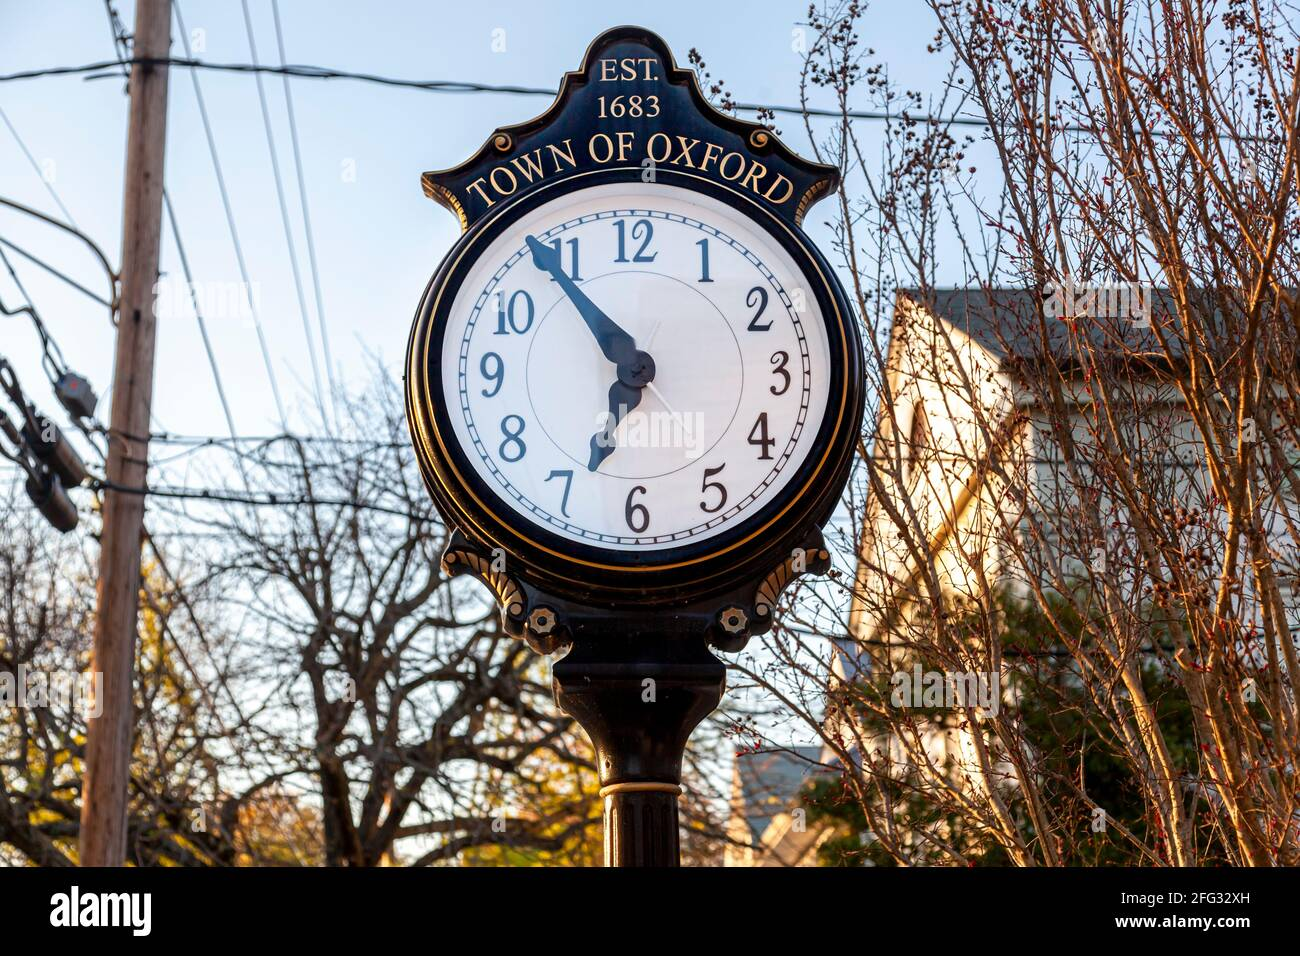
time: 6:54
